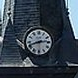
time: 2:41
